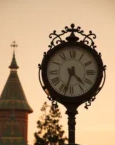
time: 4:33
